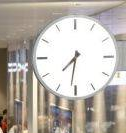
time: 7:31
